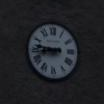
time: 8:46
